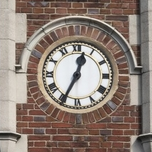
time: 12:34
